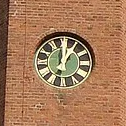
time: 1:00
